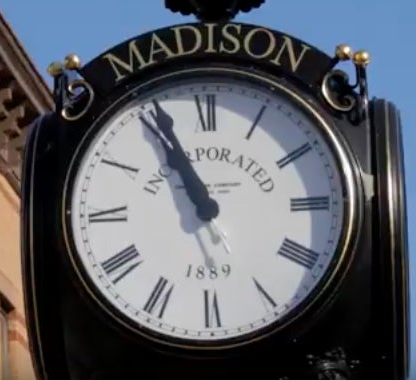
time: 10:55
